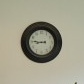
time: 8:46
